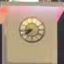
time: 7:43
